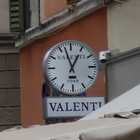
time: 12:57
